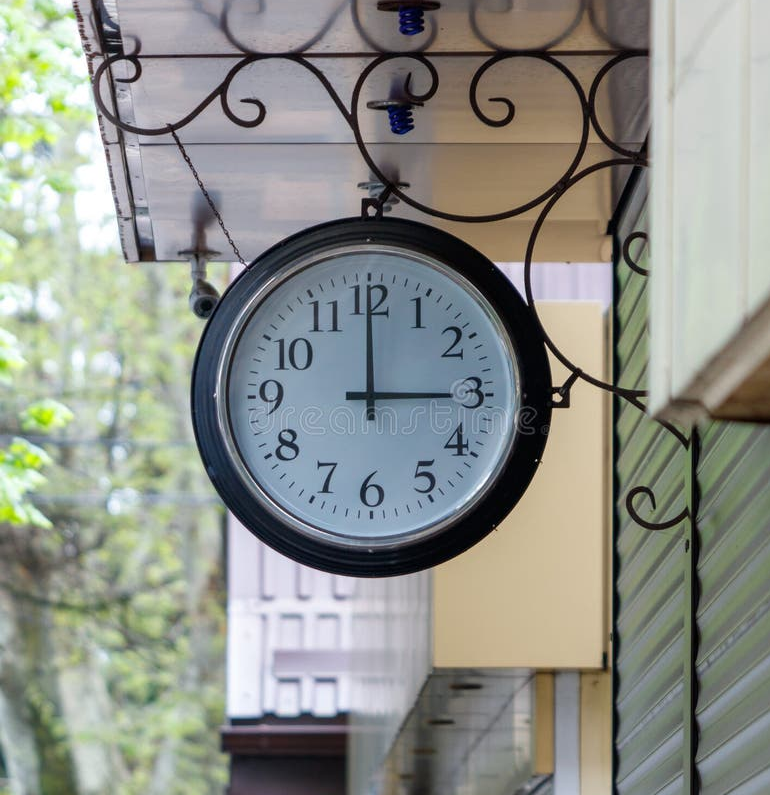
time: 3:00
